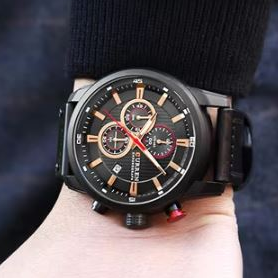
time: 1:22
